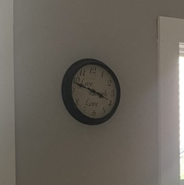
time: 3:48
